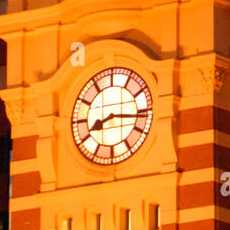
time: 8:16
